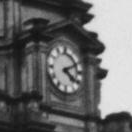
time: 4:10
